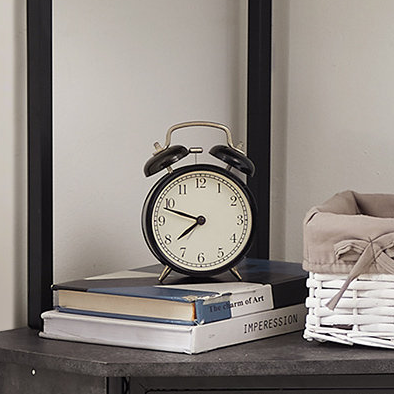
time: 7:48
